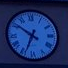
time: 6:50
